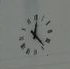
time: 12:23
